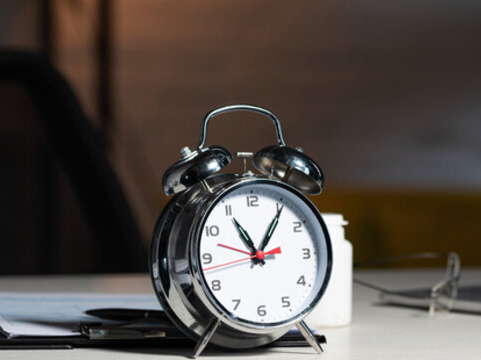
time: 11:05
